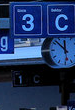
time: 11:52
